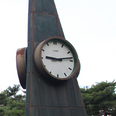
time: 9:13
